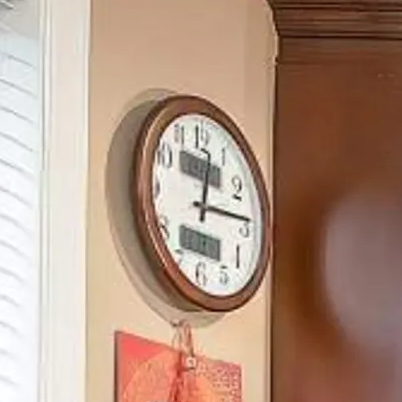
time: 12:14
